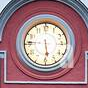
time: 5:46
